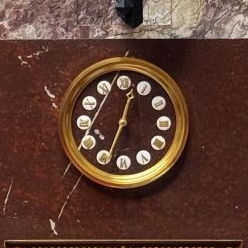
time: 12:33
